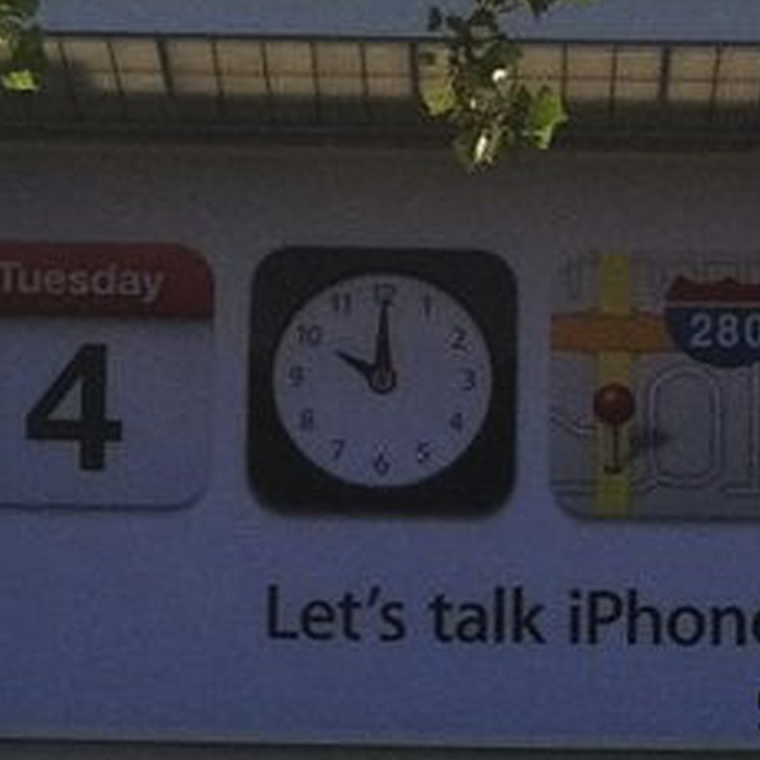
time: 10:00
